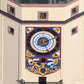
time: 5:11
